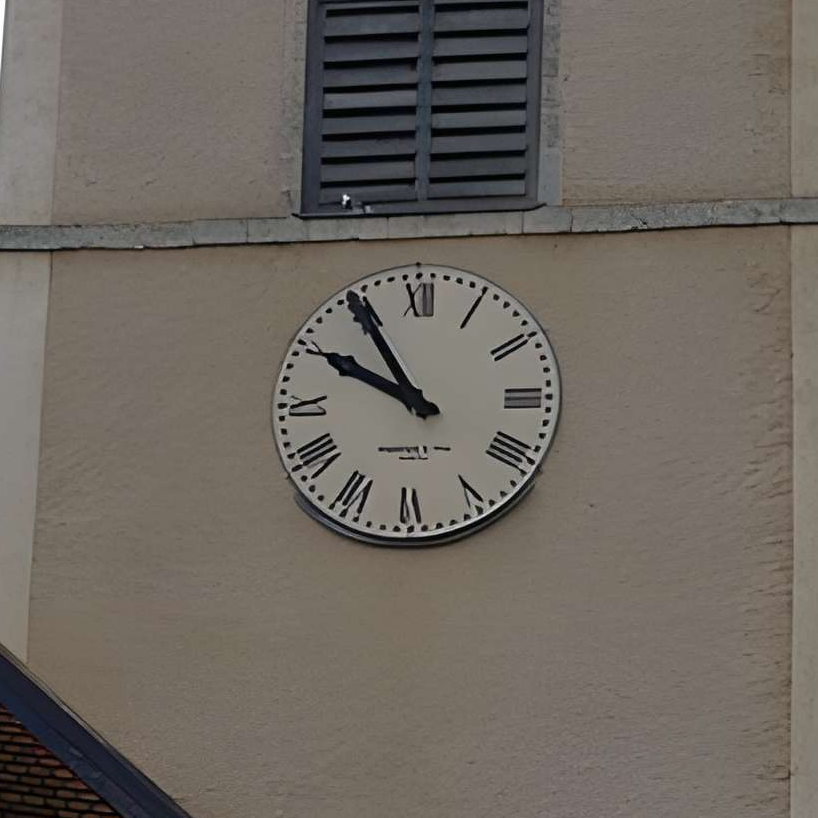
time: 9:54
